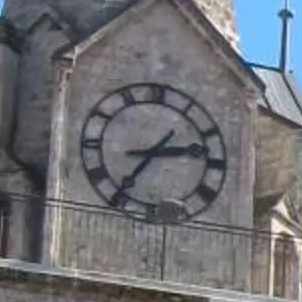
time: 2:36
